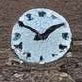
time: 1:50
